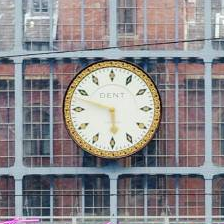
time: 5:47
